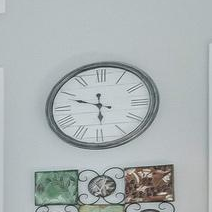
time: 5:48
